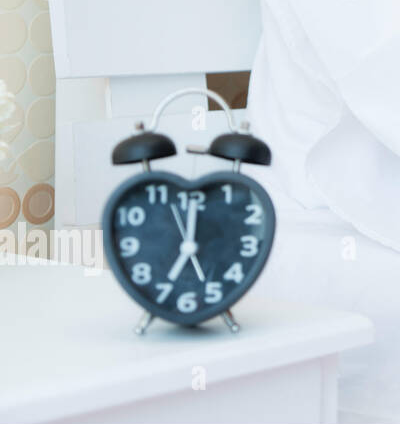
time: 7:00
